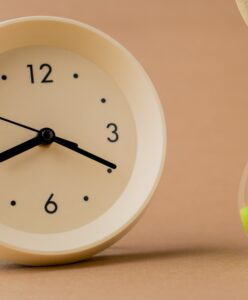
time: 8:19
